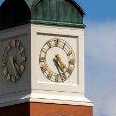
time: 4:26
